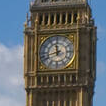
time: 11:42
